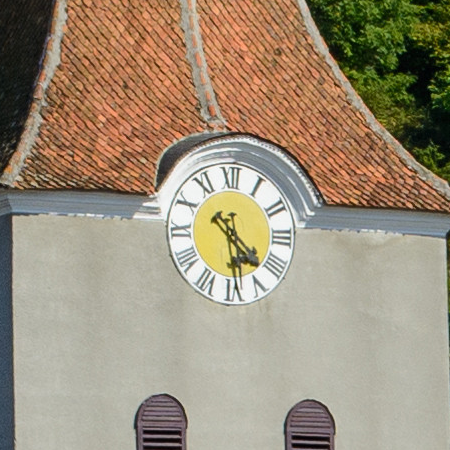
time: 4:28
